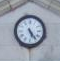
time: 5:23
